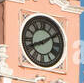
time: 8:09
